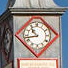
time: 10:43
